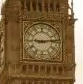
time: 9:13
